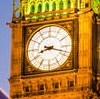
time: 8:18
